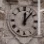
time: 12:07
